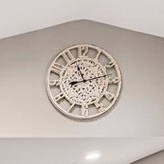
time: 11:12
